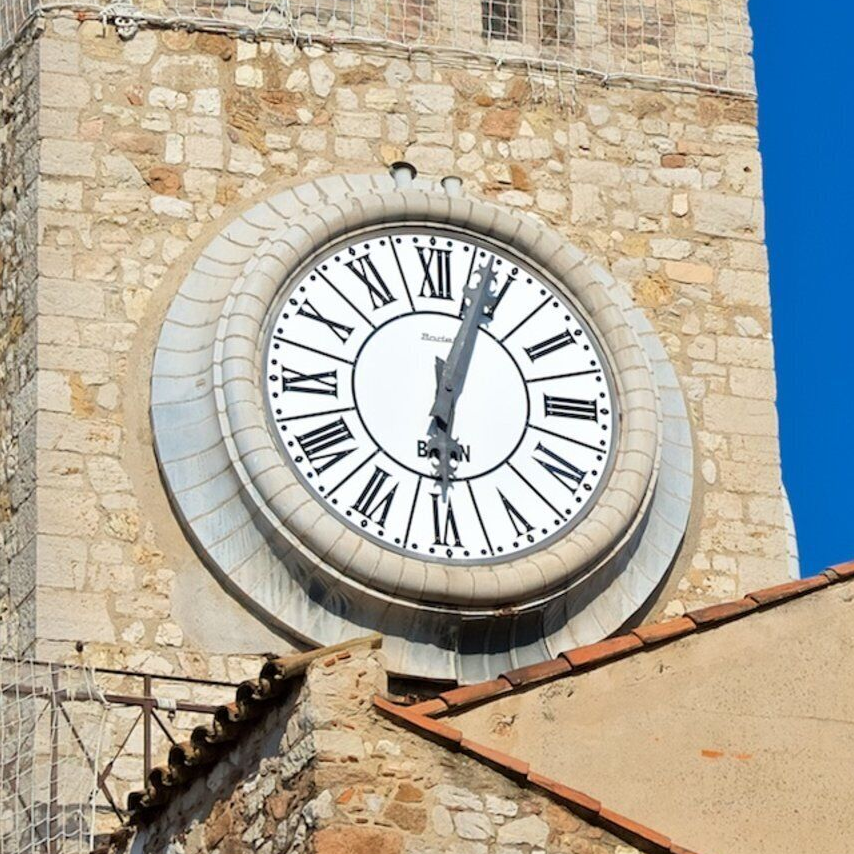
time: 6:03
